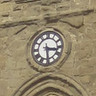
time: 3:28
